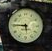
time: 5:45
